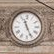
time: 11:26
